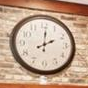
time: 2:01
